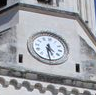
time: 4:28
